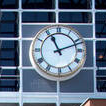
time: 11:11
